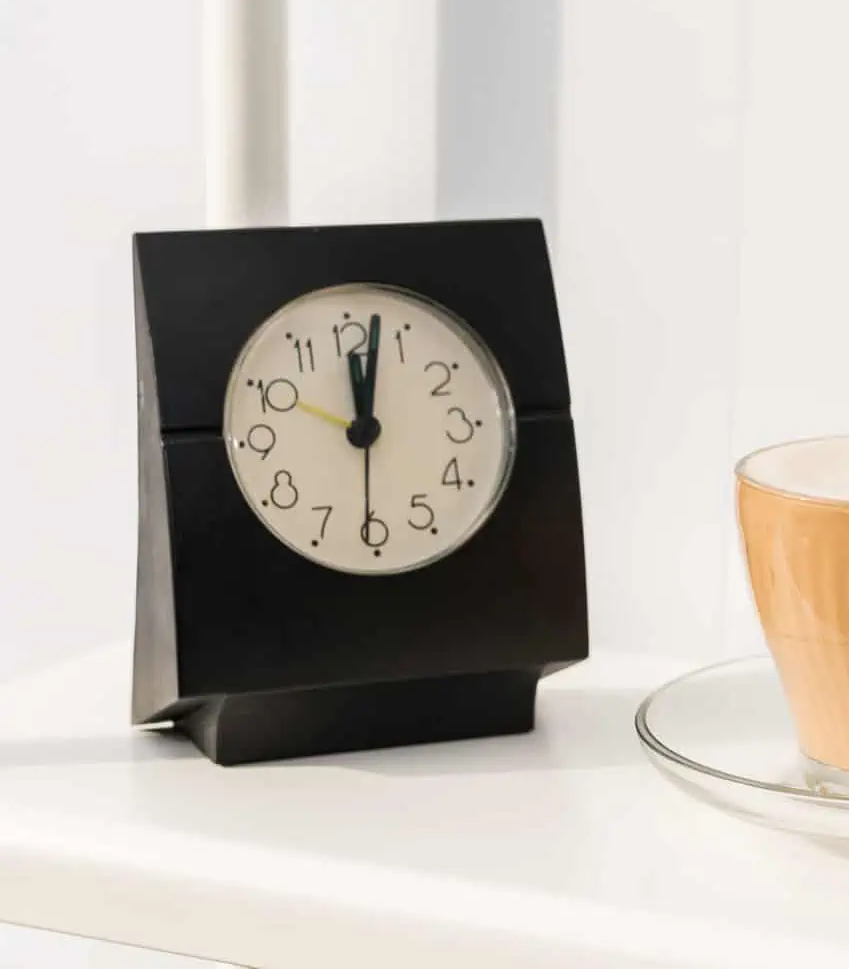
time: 12:02
